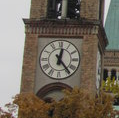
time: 12:23
